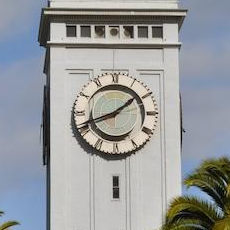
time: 1:41
